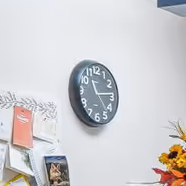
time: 11:13
